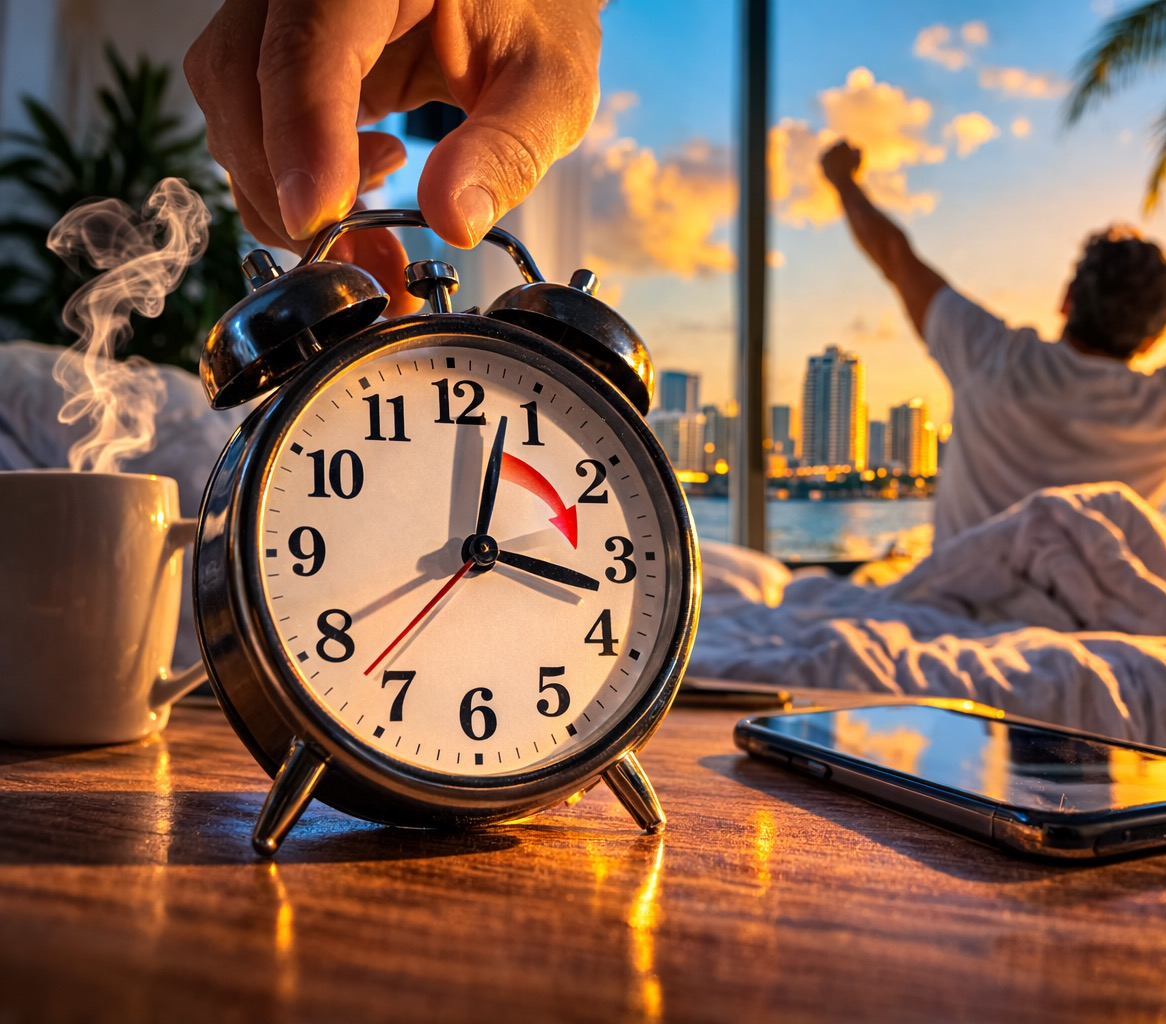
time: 12:17
